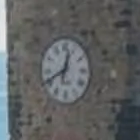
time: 12:40
